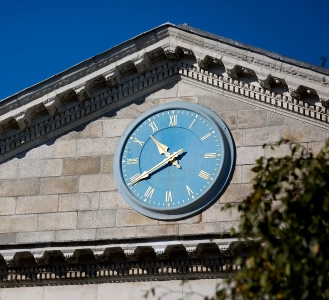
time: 10:39
